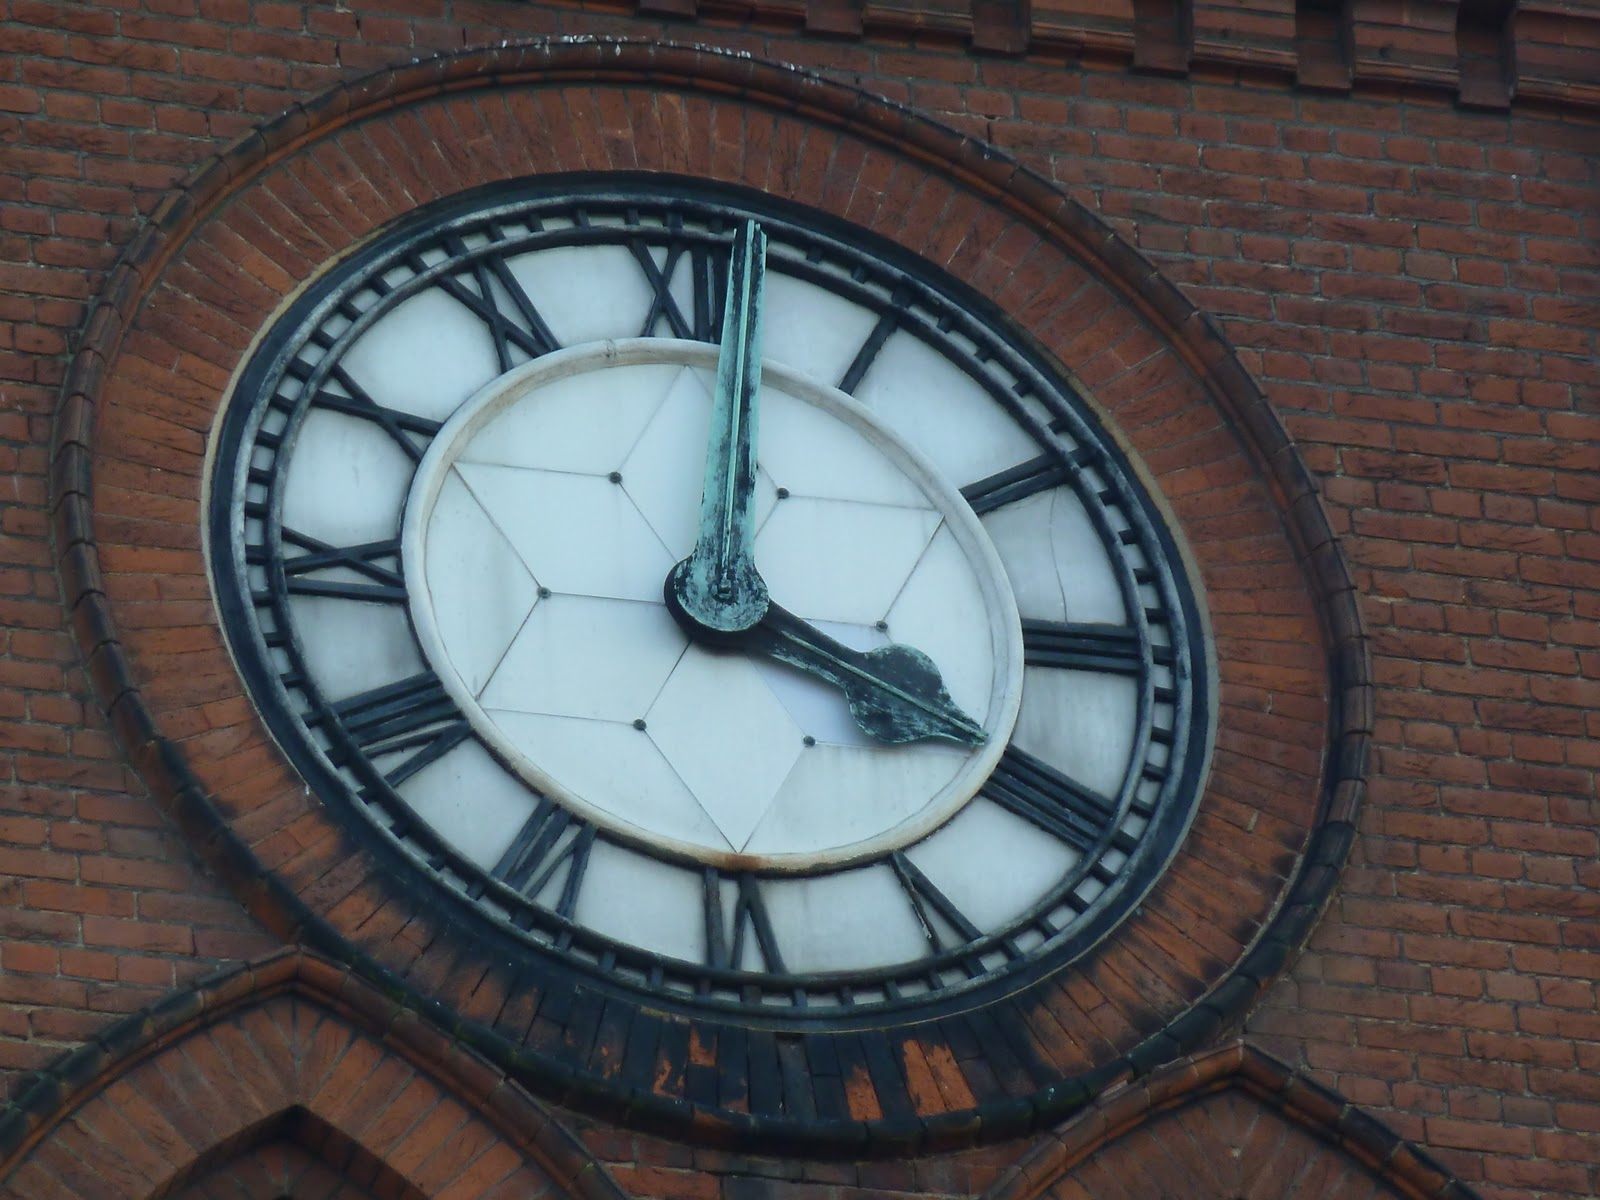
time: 4:01
